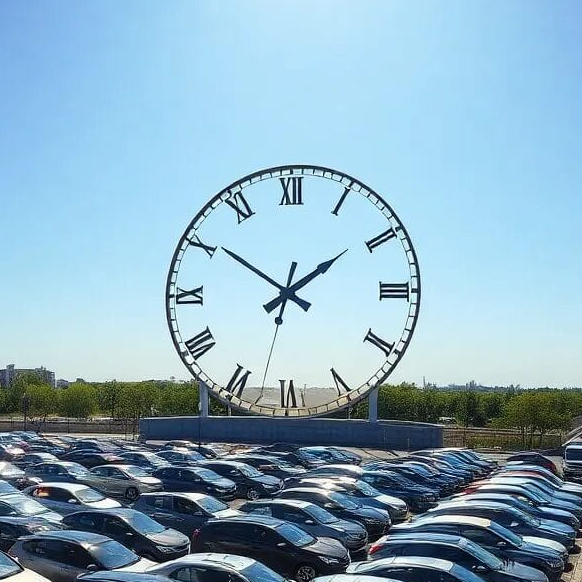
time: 1:50
